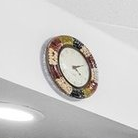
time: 4:12
